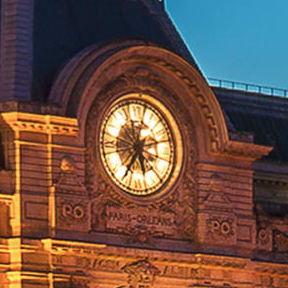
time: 5:36
